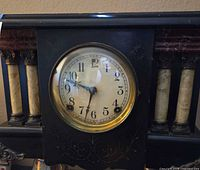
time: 9:33
